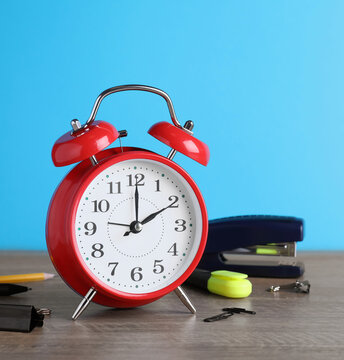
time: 2:00
